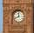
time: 11:41
